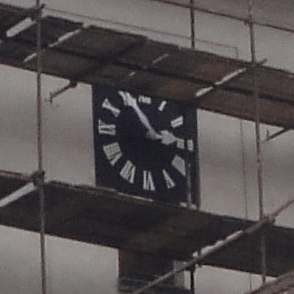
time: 2:55
